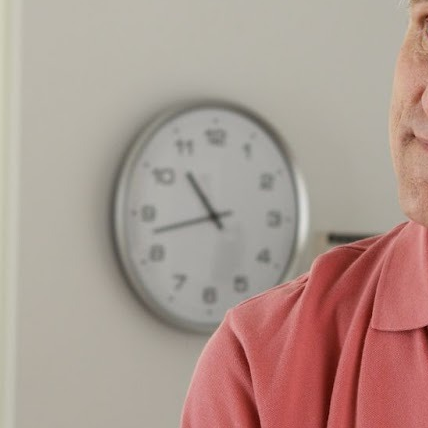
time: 10:42
